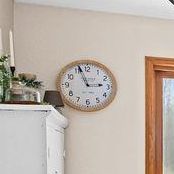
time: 2:56
